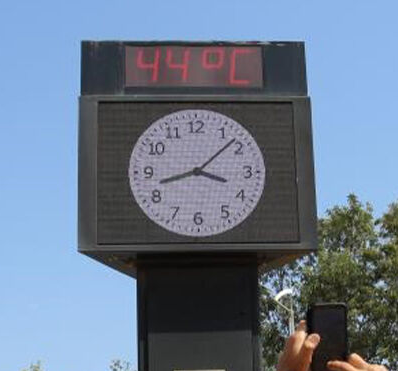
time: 3:42
